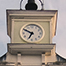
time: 6:49
